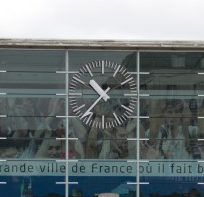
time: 10:37
